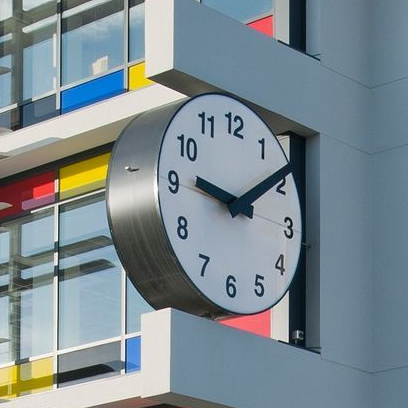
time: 9:09
